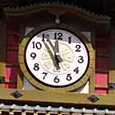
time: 10:59
